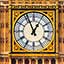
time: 12:56
